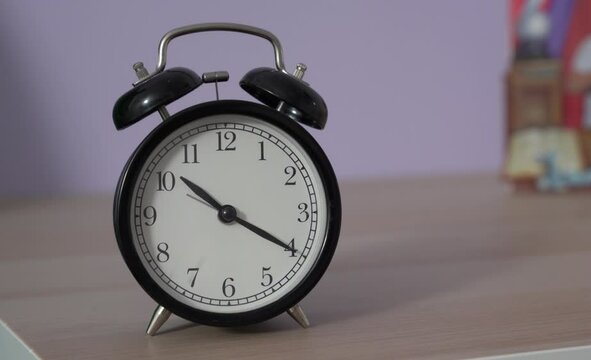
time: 10:20
